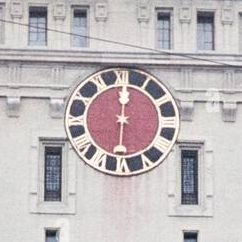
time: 12:00
